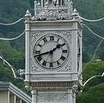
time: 1:42
